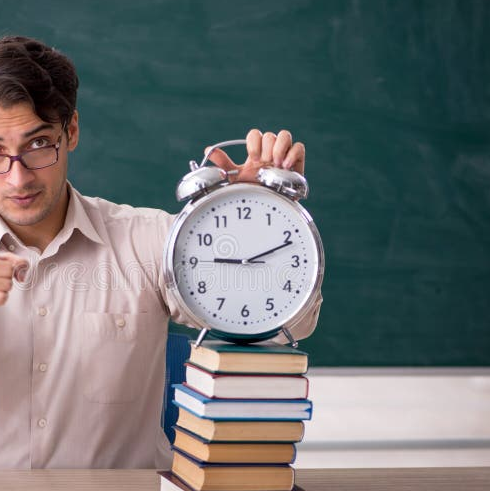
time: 9:11
